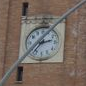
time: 2:36
